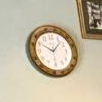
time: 10:07
